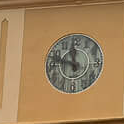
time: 11:46
